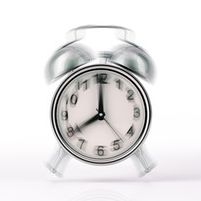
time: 8:00
